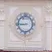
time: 8:45
